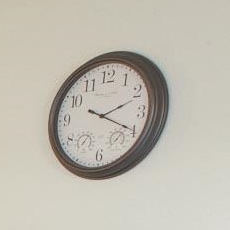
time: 2:19
